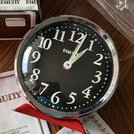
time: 1:02
